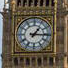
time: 1:16
